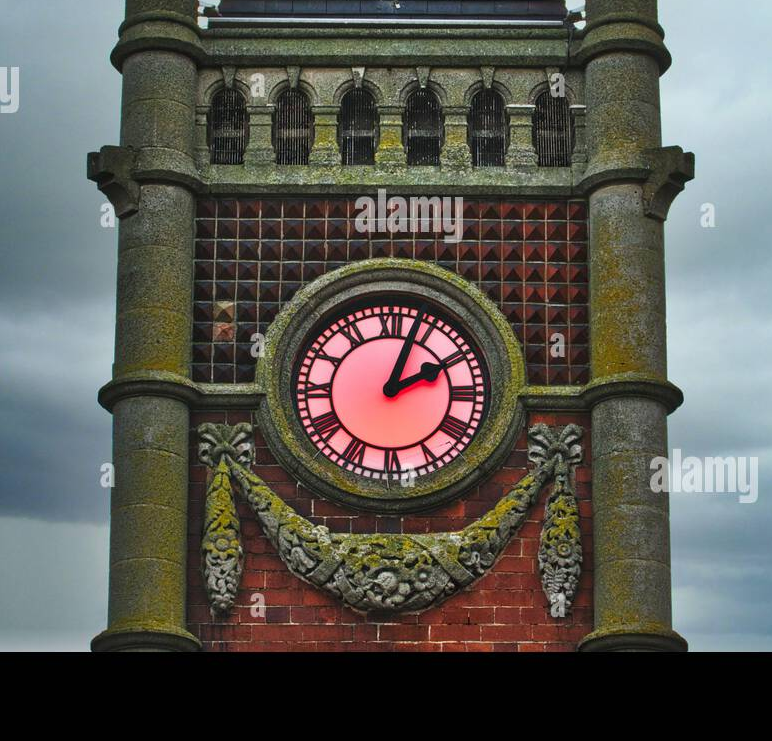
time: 2:03
